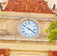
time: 3:50
